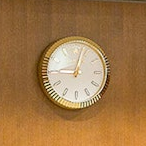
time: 9:02
